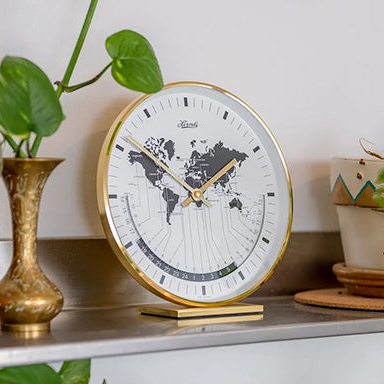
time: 1:50
